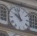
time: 9:57
